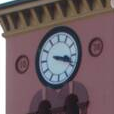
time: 3:18
